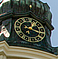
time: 1:18
